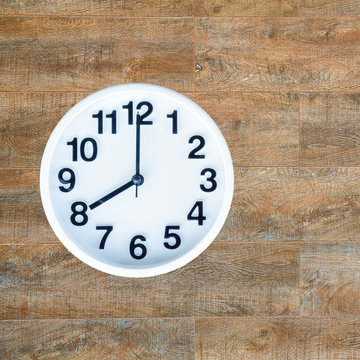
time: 8:00
